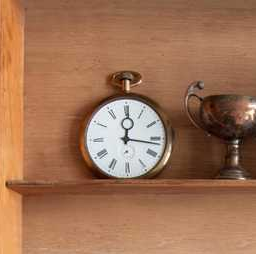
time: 12:16
